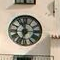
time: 11:33
